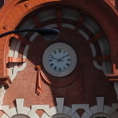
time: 1:47
